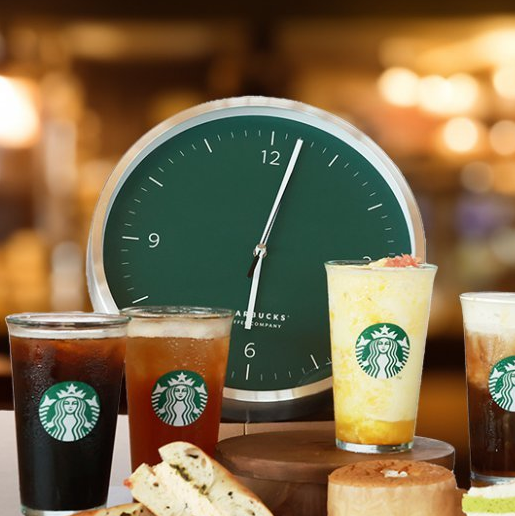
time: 6:02
